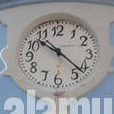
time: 10:22
